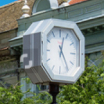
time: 5:03
